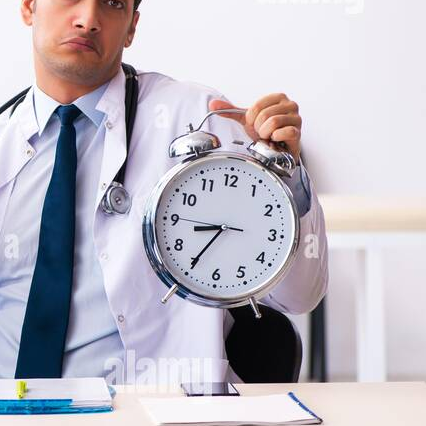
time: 8:35
